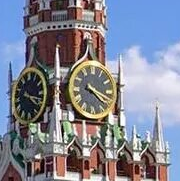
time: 4:17
